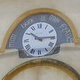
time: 10:14
